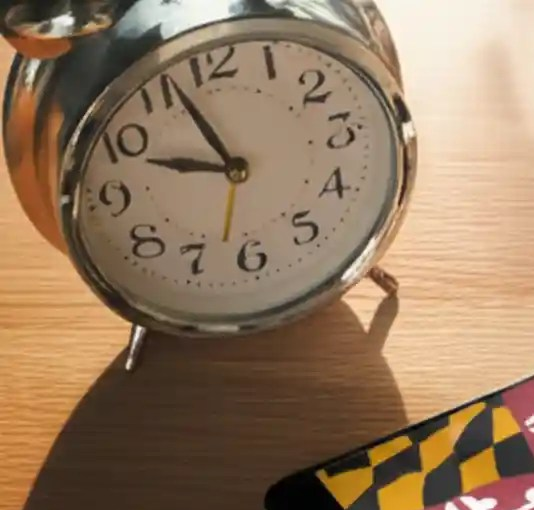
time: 9:56
